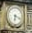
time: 6:18
